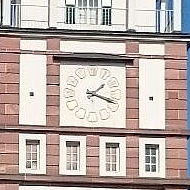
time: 1:18
